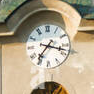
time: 7:17
